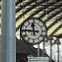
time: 11:45
